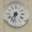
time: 7:32
